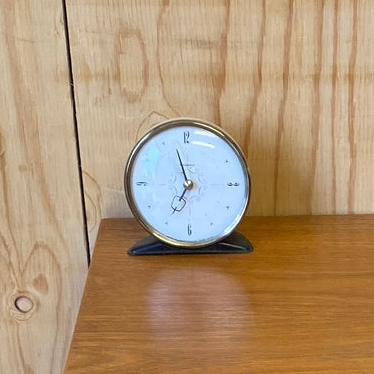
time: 6:57
